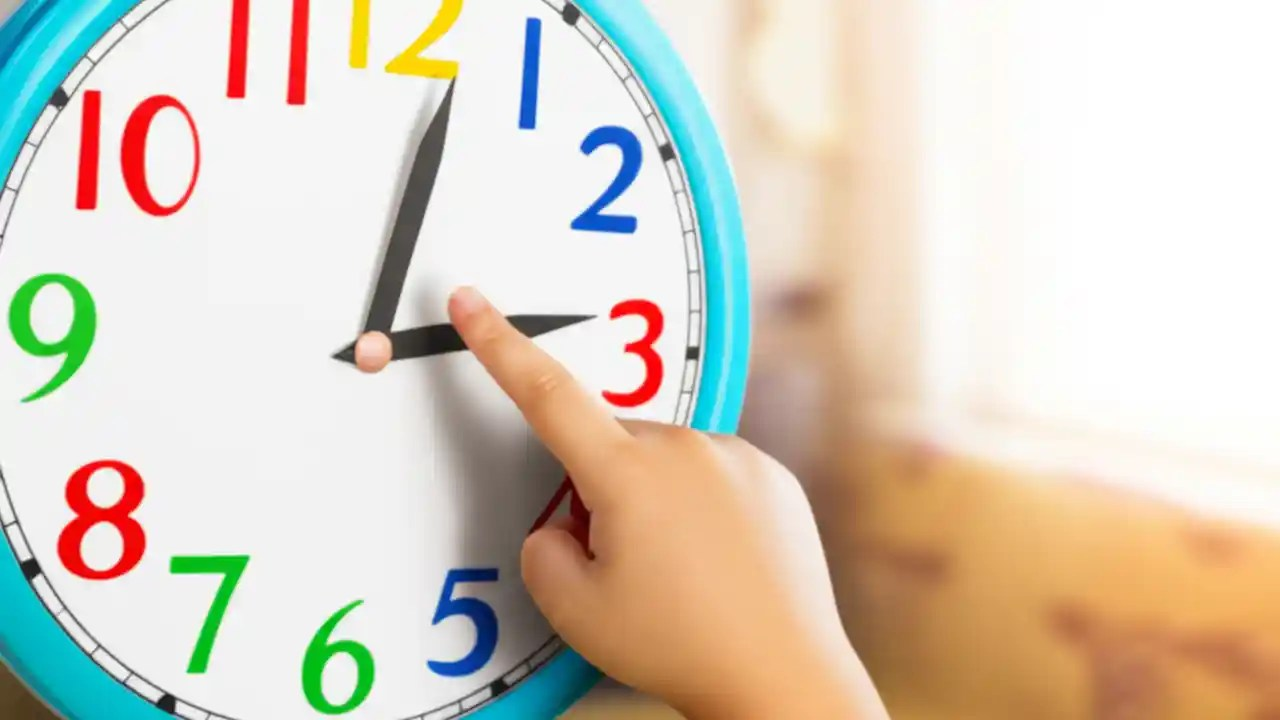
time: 3:02
